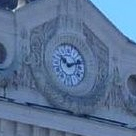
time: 10:12
